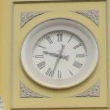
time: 9:33
